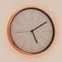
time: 5:09
